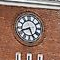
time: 8:26
